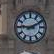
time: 9:10
